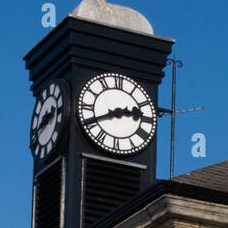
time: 2:40
